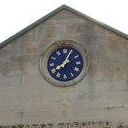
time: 8:04
